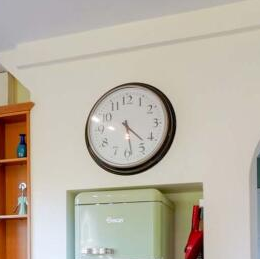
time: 4:28
